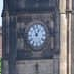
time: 12:55
